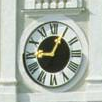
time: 9:04
